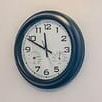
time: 11:49
